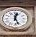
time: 12:26
